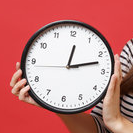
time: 12:12
